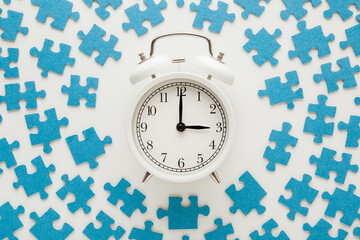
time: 3:00
